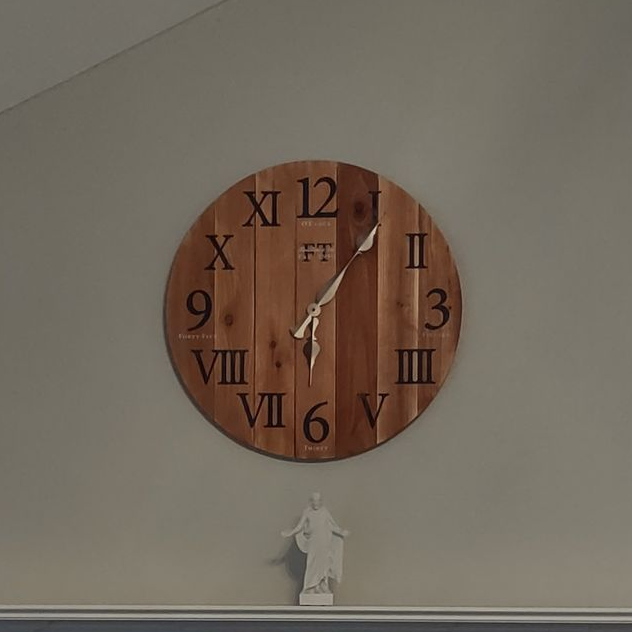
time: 6:06
